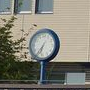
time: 6:35
